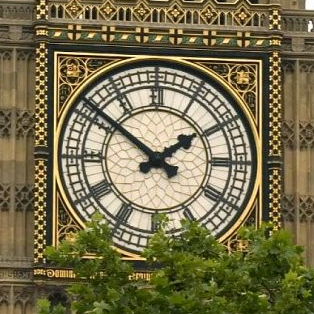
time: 1:51
